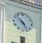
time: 4:52
